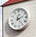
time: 2:24
